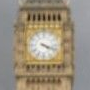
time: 4:18
